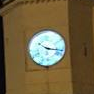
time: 10:17
